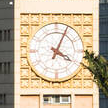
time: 4:04
